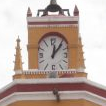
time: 12:06
